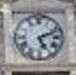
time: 5:11
